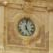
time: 5:01
